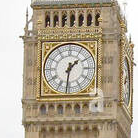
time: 1:31
